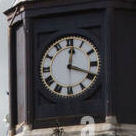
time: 12:18
